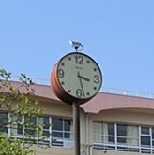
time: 3:27
